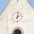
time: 2:01
